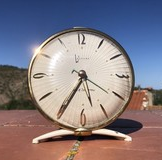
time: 5:35
